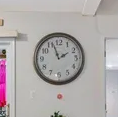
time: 1:56
